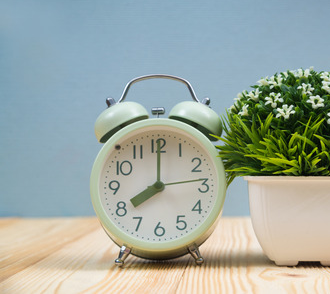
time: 8:00
